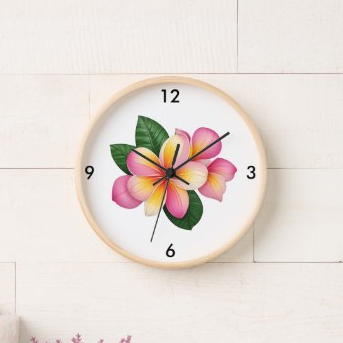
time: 12:09
